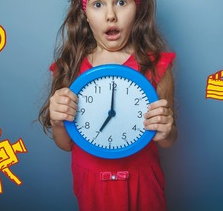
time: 7:00
